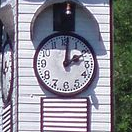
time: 2:01
